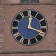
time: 12:18
